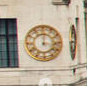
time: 12:16
